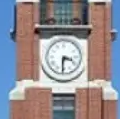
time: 3:30
